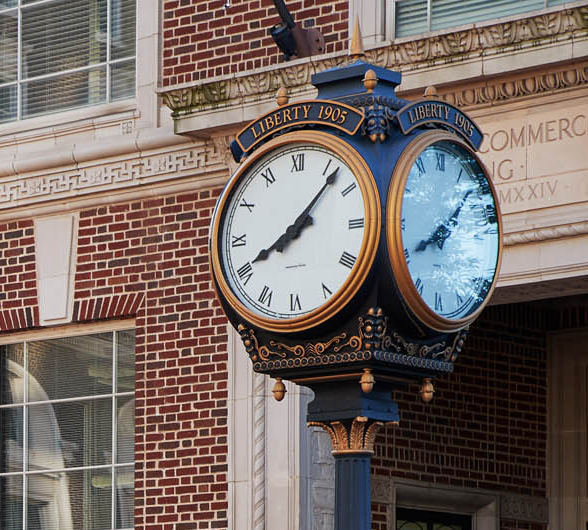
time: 8:07
